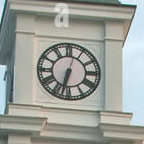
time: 6:32
